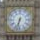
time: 6:32
